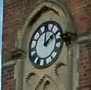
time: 2:00
